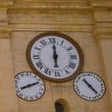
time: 6:00
